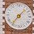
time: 1:36
